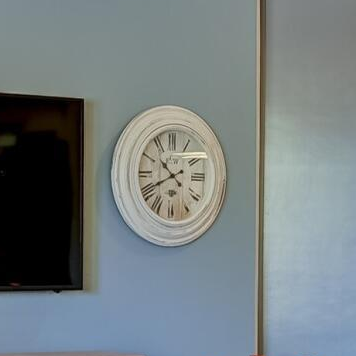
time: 10:40
